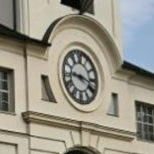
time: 9:17
